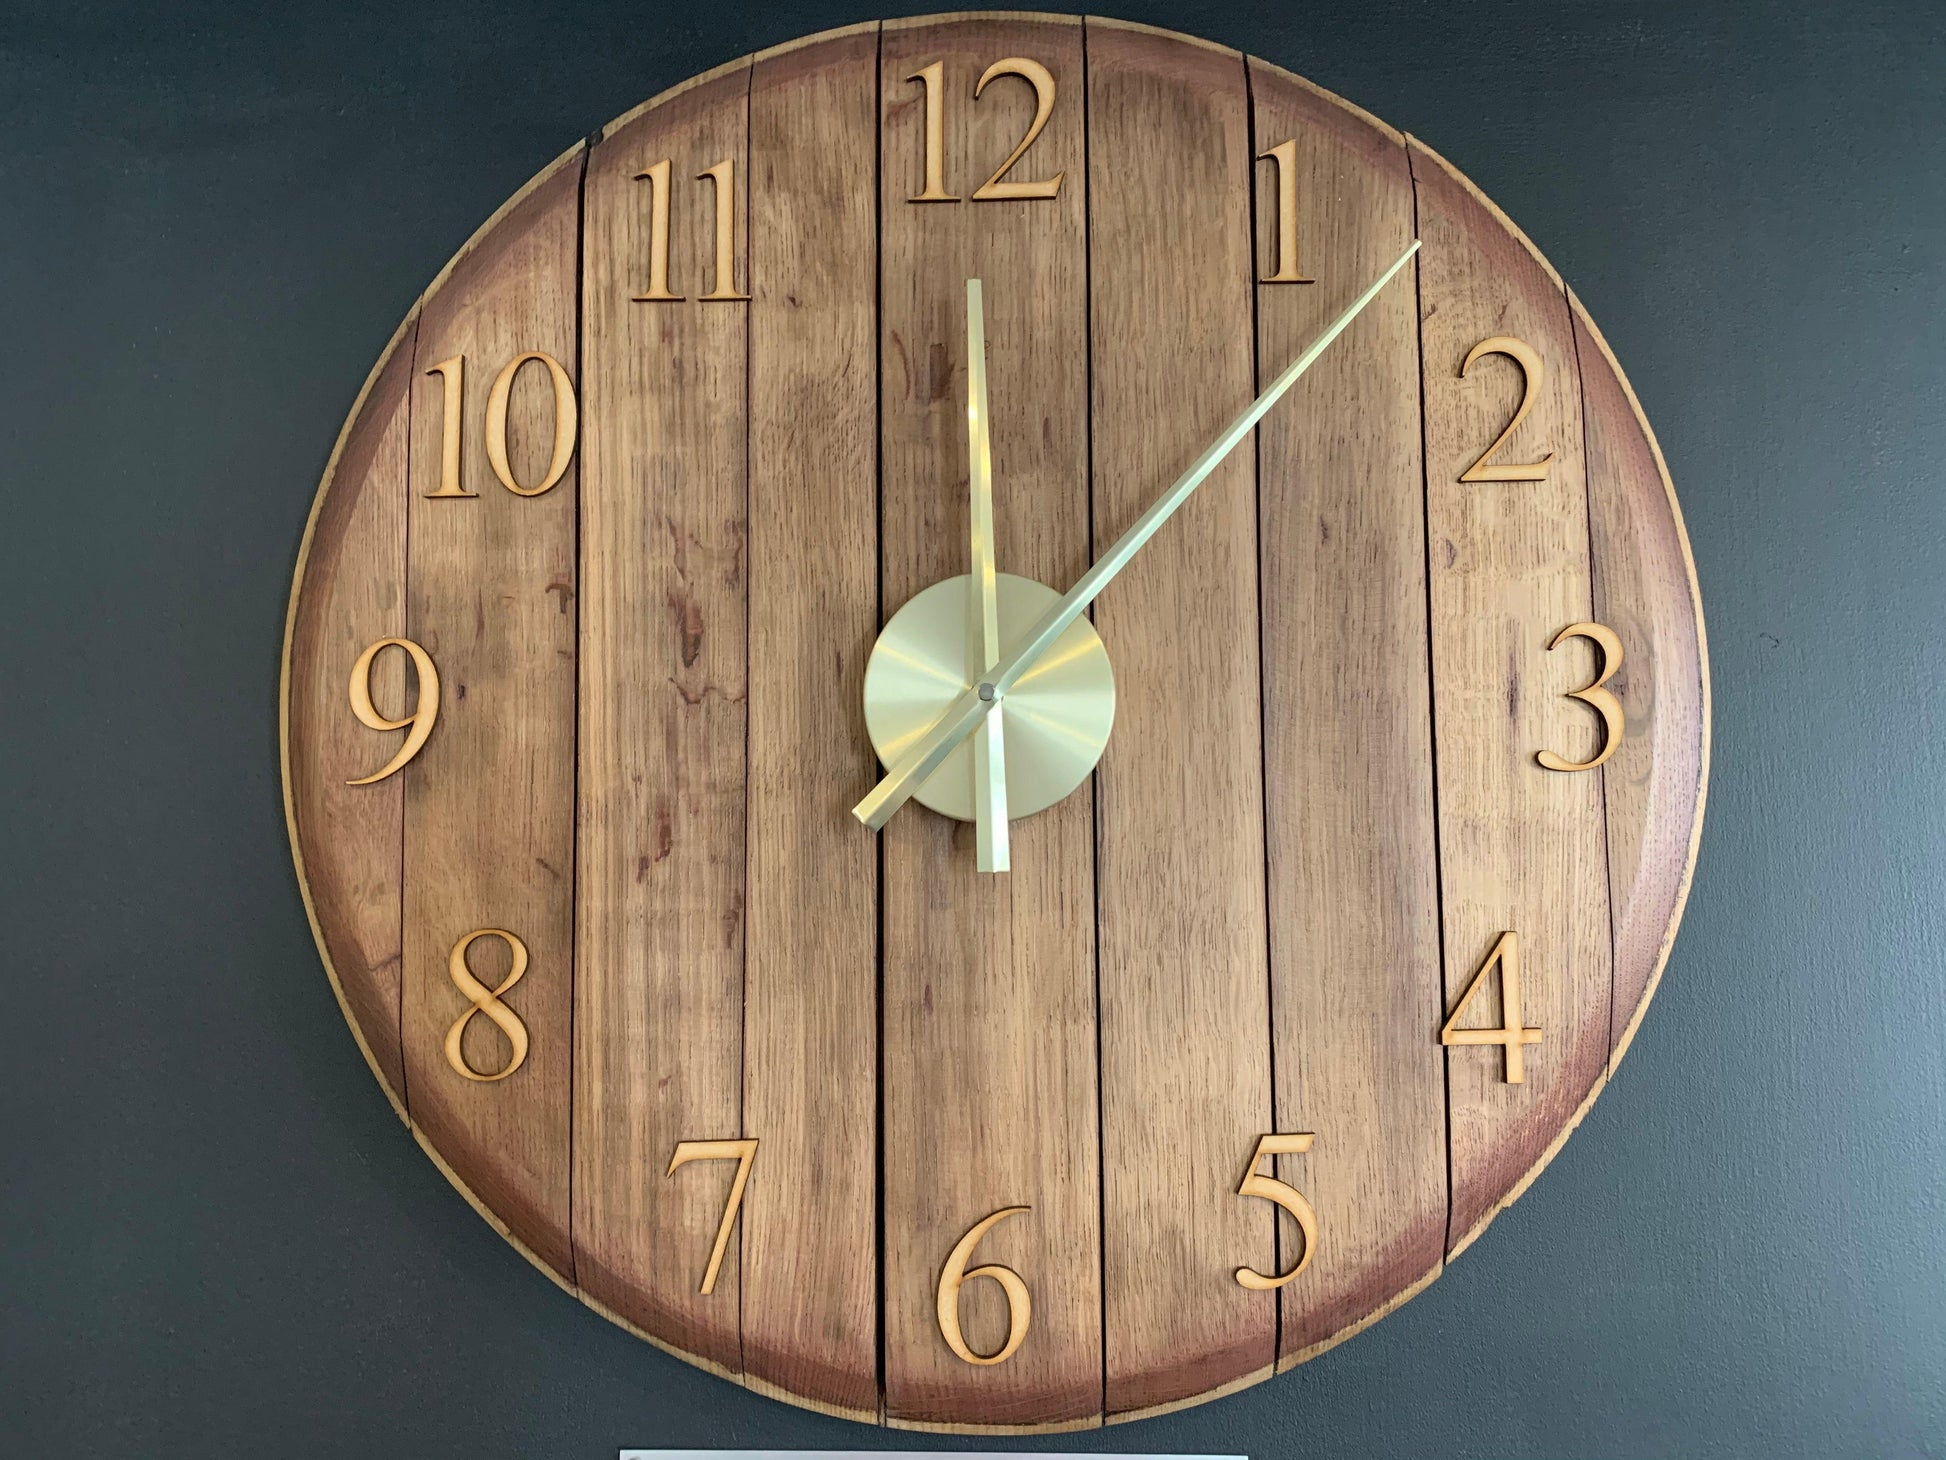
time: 12:07
